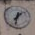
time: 1:32
